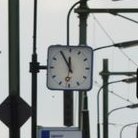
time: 11:55
